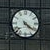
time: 4:21
